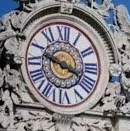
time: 3:48
